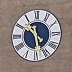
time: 10:28
